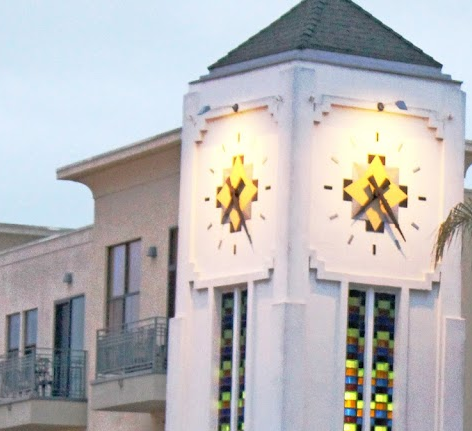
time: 7:25
